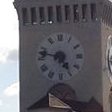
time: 4:47
